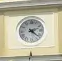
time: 2:21
